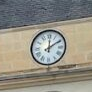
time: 12:09
